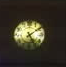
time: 5:08
